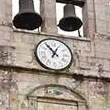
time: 12:53
